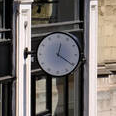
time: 12:20
